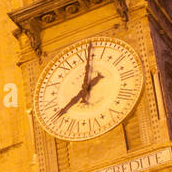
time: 8:01
